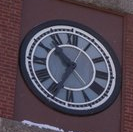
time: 10:34
